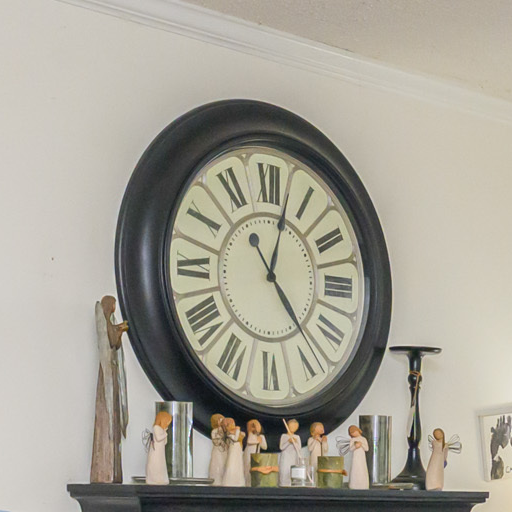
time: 12:23
